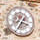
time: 3:34
